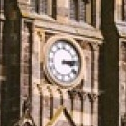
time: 3:13
